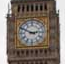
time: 2:49
